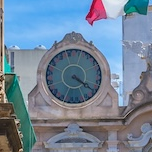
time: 4:21
